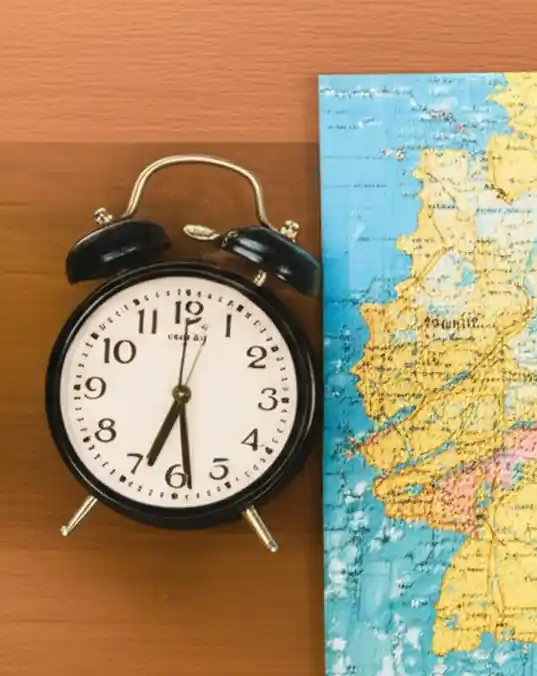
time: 6:28
